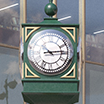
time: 10:14
